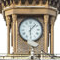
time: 6:07
